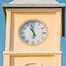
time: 10:58
